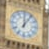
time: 12:05
